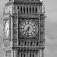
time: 7:32
